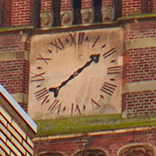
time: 1:38
